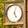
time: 5:02
